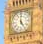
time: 5:00
